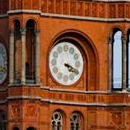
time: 4:19
